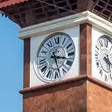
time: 3:27
